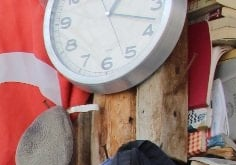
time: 1:17
